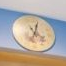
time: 4:02
